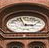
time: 2:56
